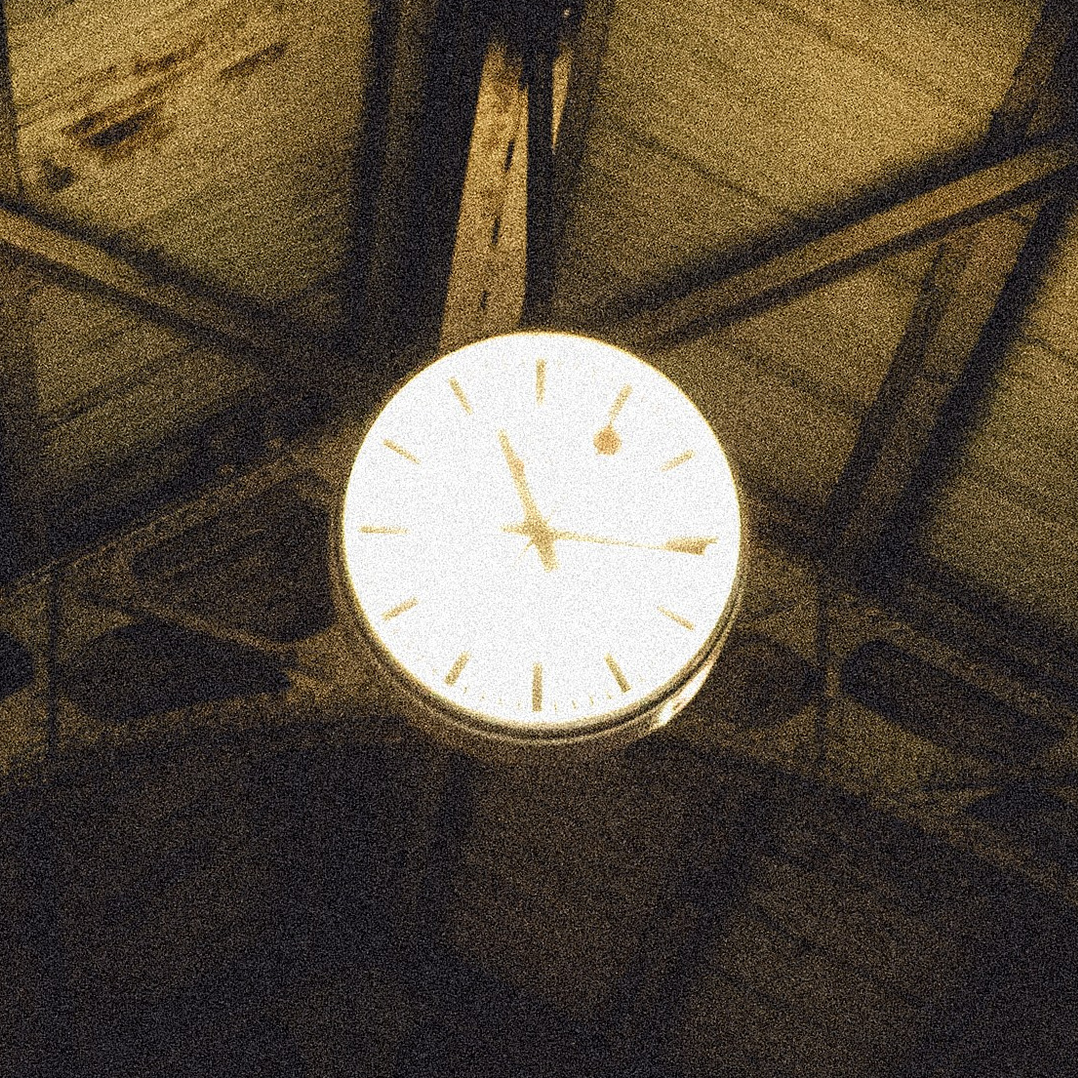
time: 11:15
